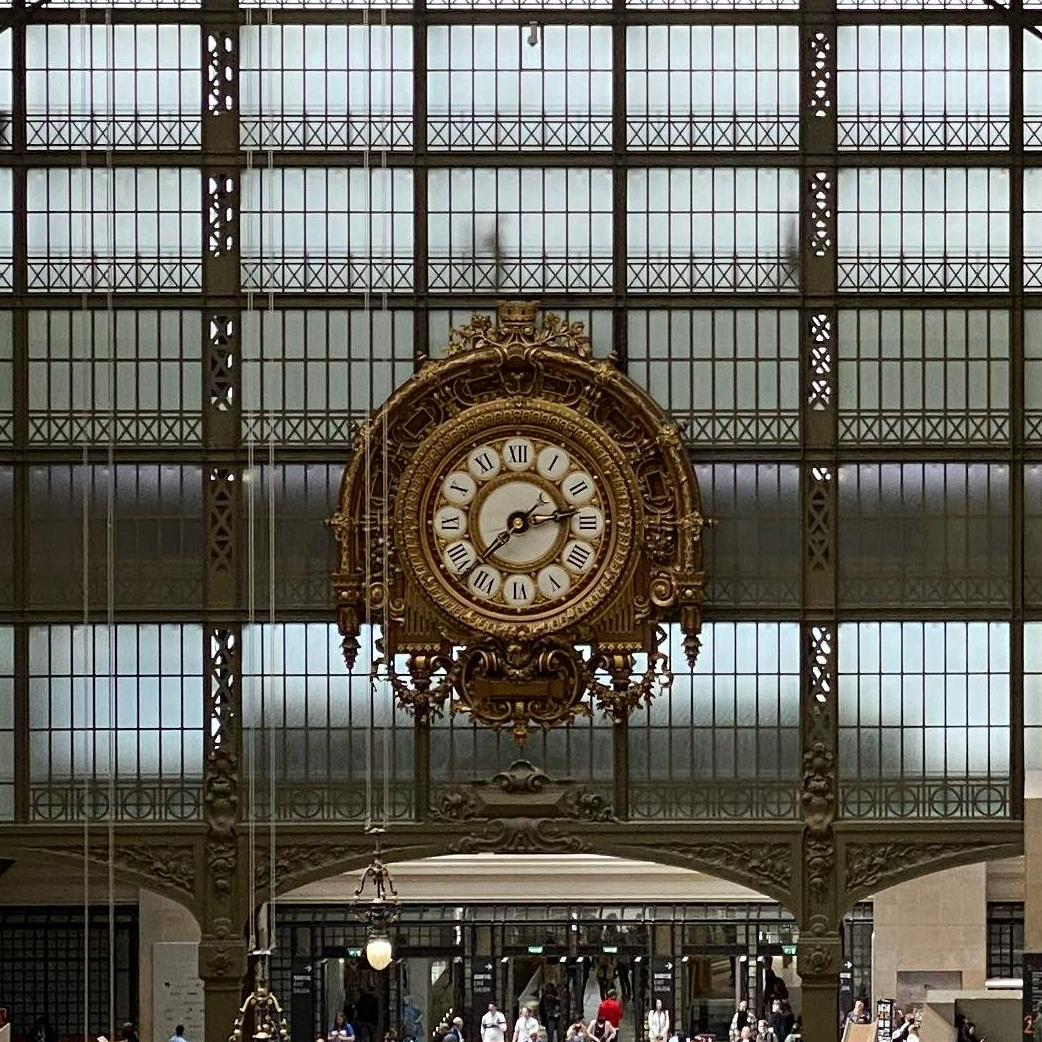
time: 2:38
